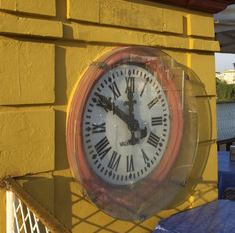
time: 11:50
